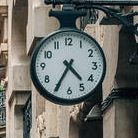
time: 4:35
